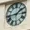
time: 1:43
